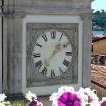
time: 1:36
